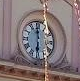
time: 5:59
